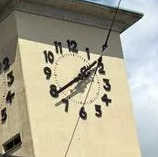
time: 1:39
